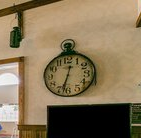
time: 12:32
